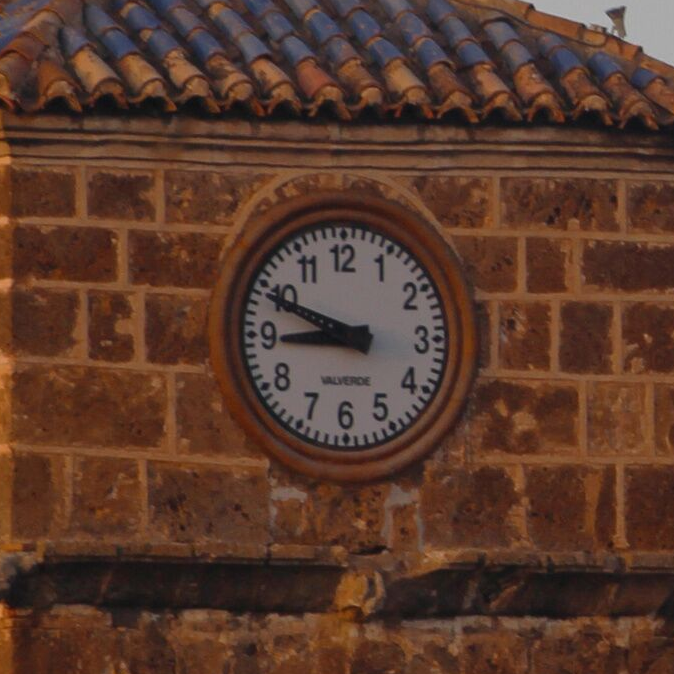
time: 8:48
